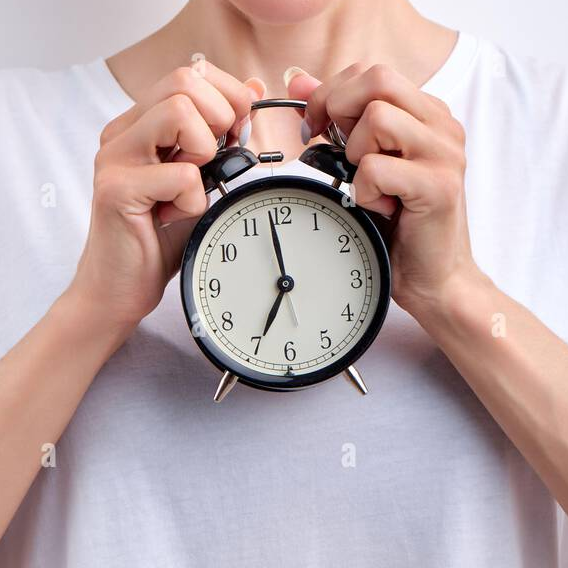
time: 6:58
